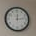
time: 12:13
